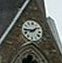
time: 1:44
